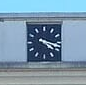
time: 4:17
